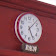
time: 5:07
